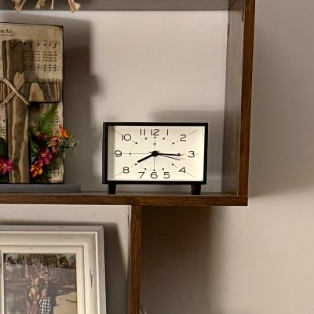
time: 8:16
